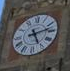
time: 5:12
